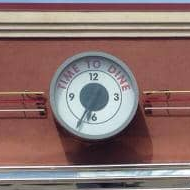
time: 6:34
